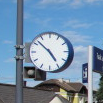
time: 4:52
